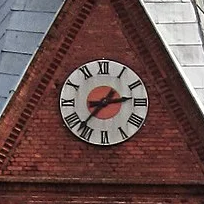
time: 2:36
